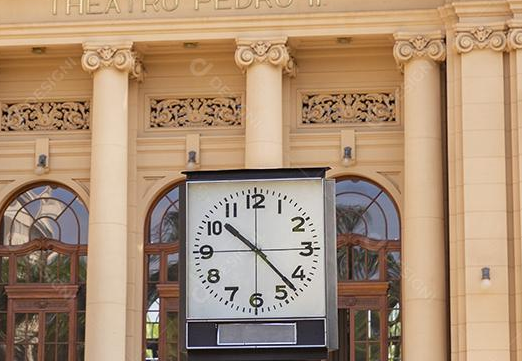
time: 10:22
